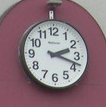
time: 2:18
